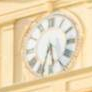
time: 5:33
